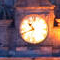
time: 10:41
